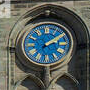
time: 2:09
